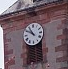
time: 10:50
